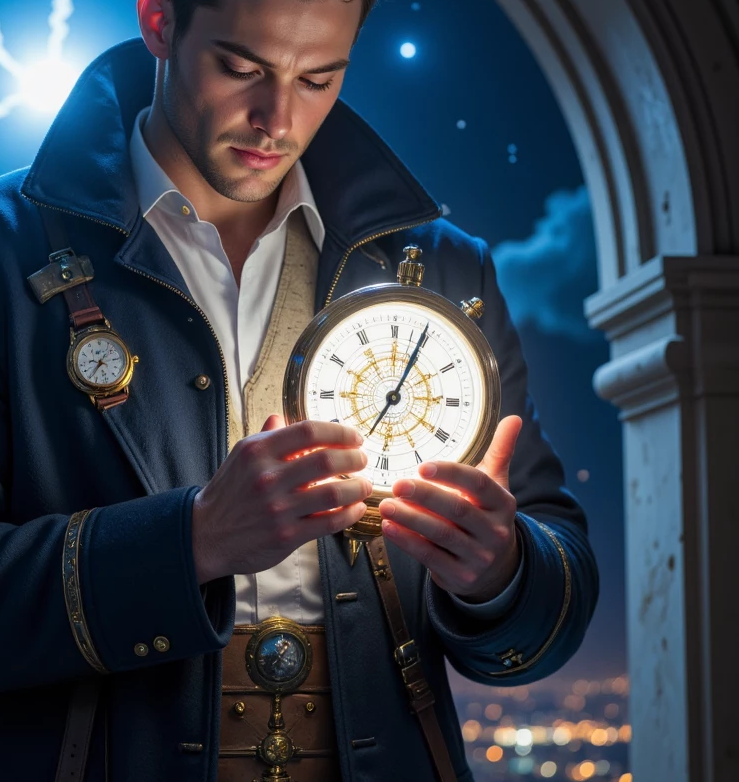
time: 7:04
